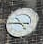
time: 4:45
